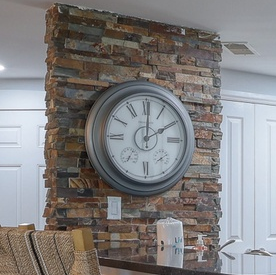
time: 2:00
